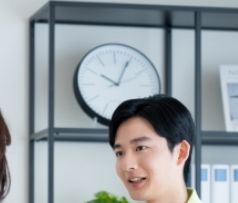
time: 10:04
